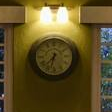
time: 7:32
